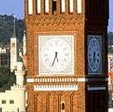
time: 5:33
